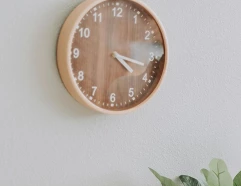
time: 4:17
